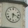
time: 6:17
